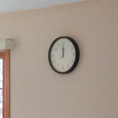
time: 11:59
